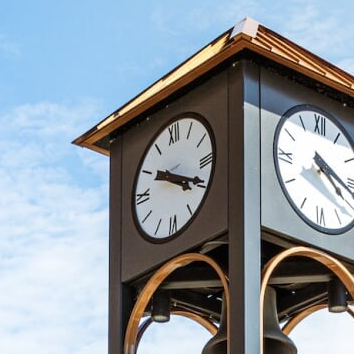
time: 4:19
